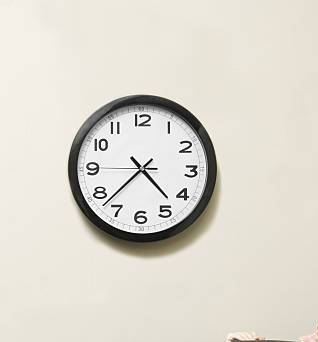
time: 4:37
